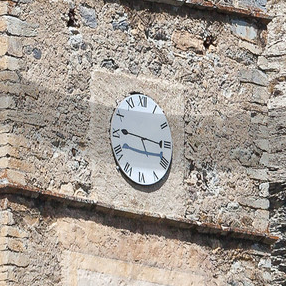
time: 9:15
